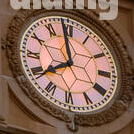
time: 7:58
